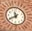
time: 11:40
